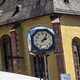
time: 2:06
